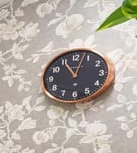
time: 11:03
